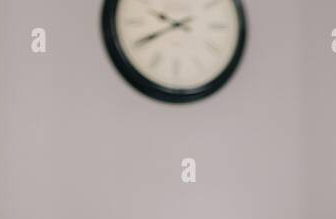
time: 9:40
